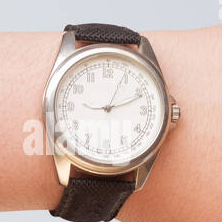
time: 9:11
